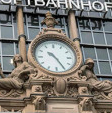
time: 10:24
